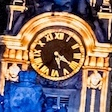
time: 5:20
